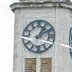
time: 1:09
